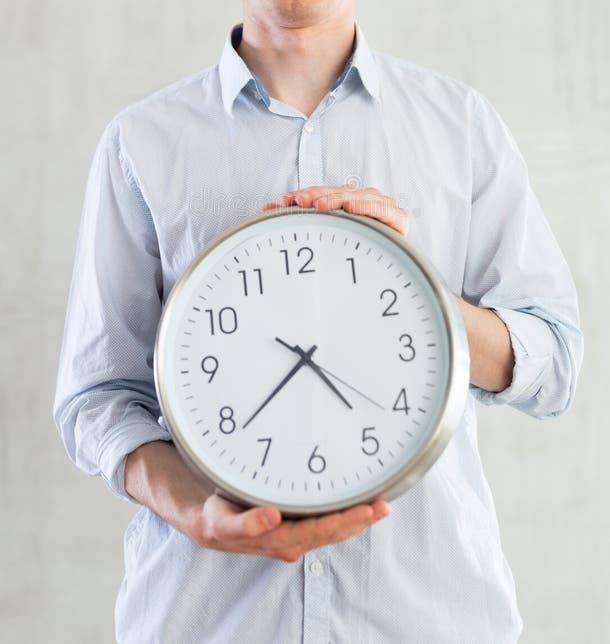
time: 4:38
